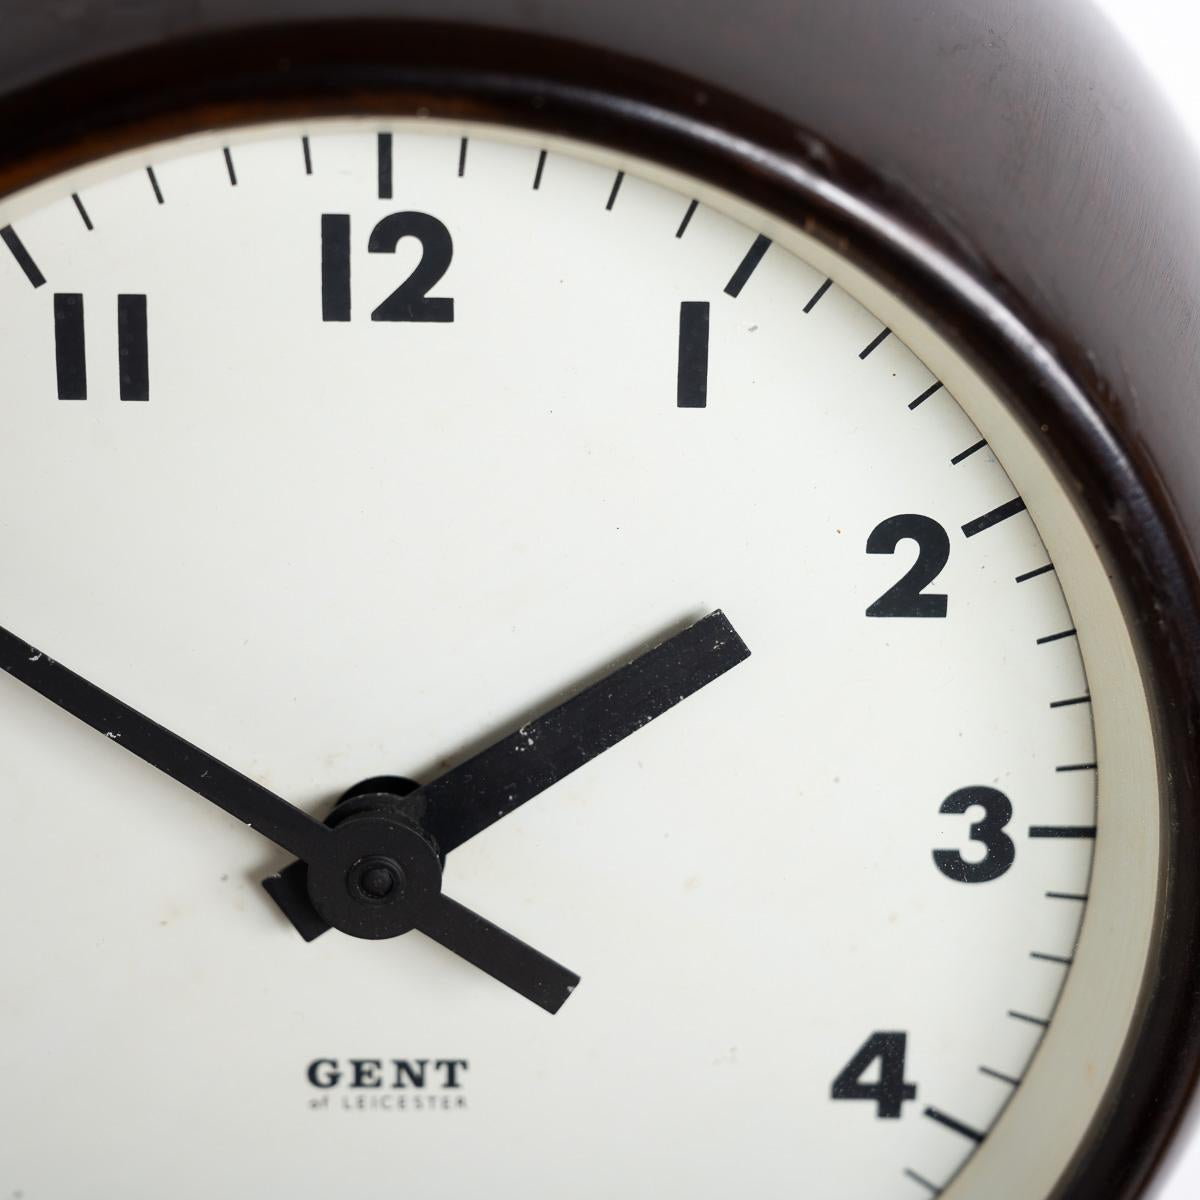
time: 1:50
